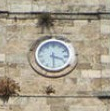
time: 3:29
